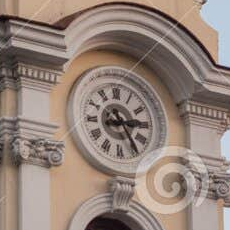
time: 3:24
